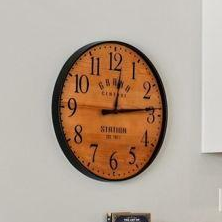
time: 12:13
